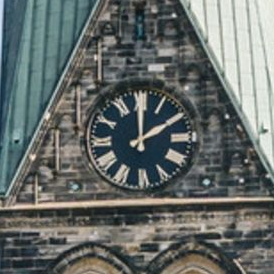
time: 2:00
